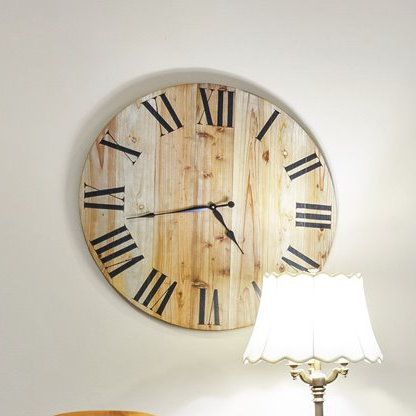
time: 4:42
